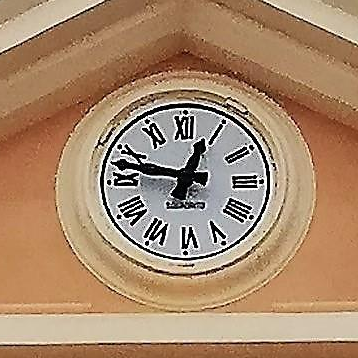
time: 12:47
